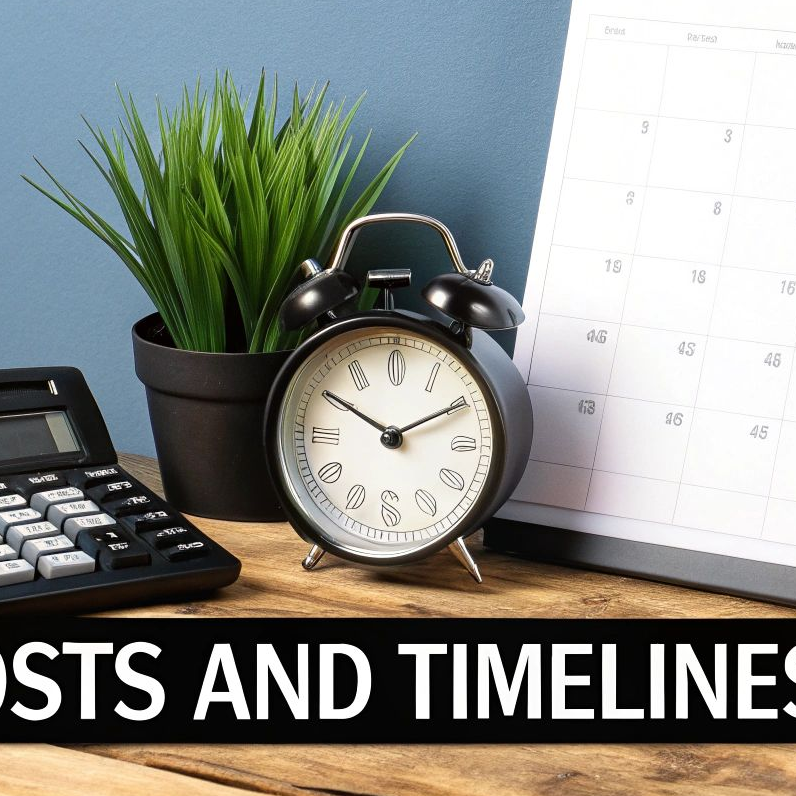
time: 10:10
